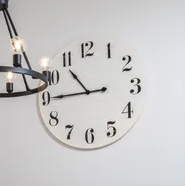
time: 10:45
